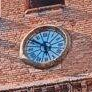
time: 5:49
